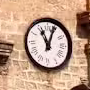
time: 11:03
